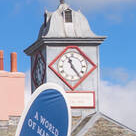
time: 11:23
